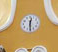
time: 12:29
